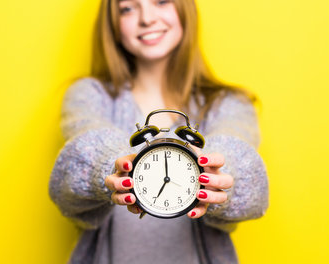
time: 6:59
